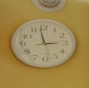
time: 2:58
